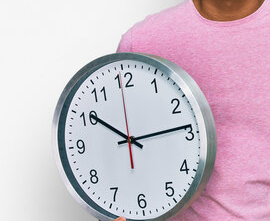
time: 10:13
